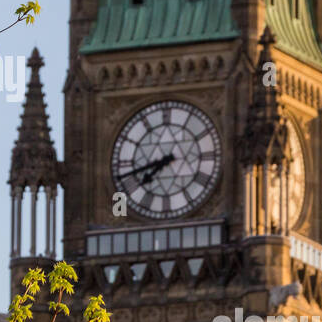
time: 7:42
